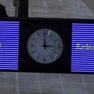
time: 2:59
